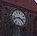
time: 3:42
